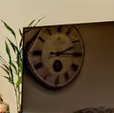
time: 2:14
